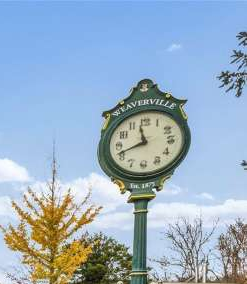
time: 11:41
